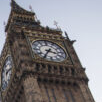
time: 3:35
